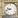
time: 9:42
